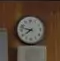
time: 7:47
